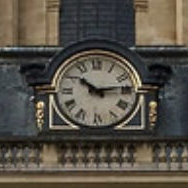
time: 10:13
